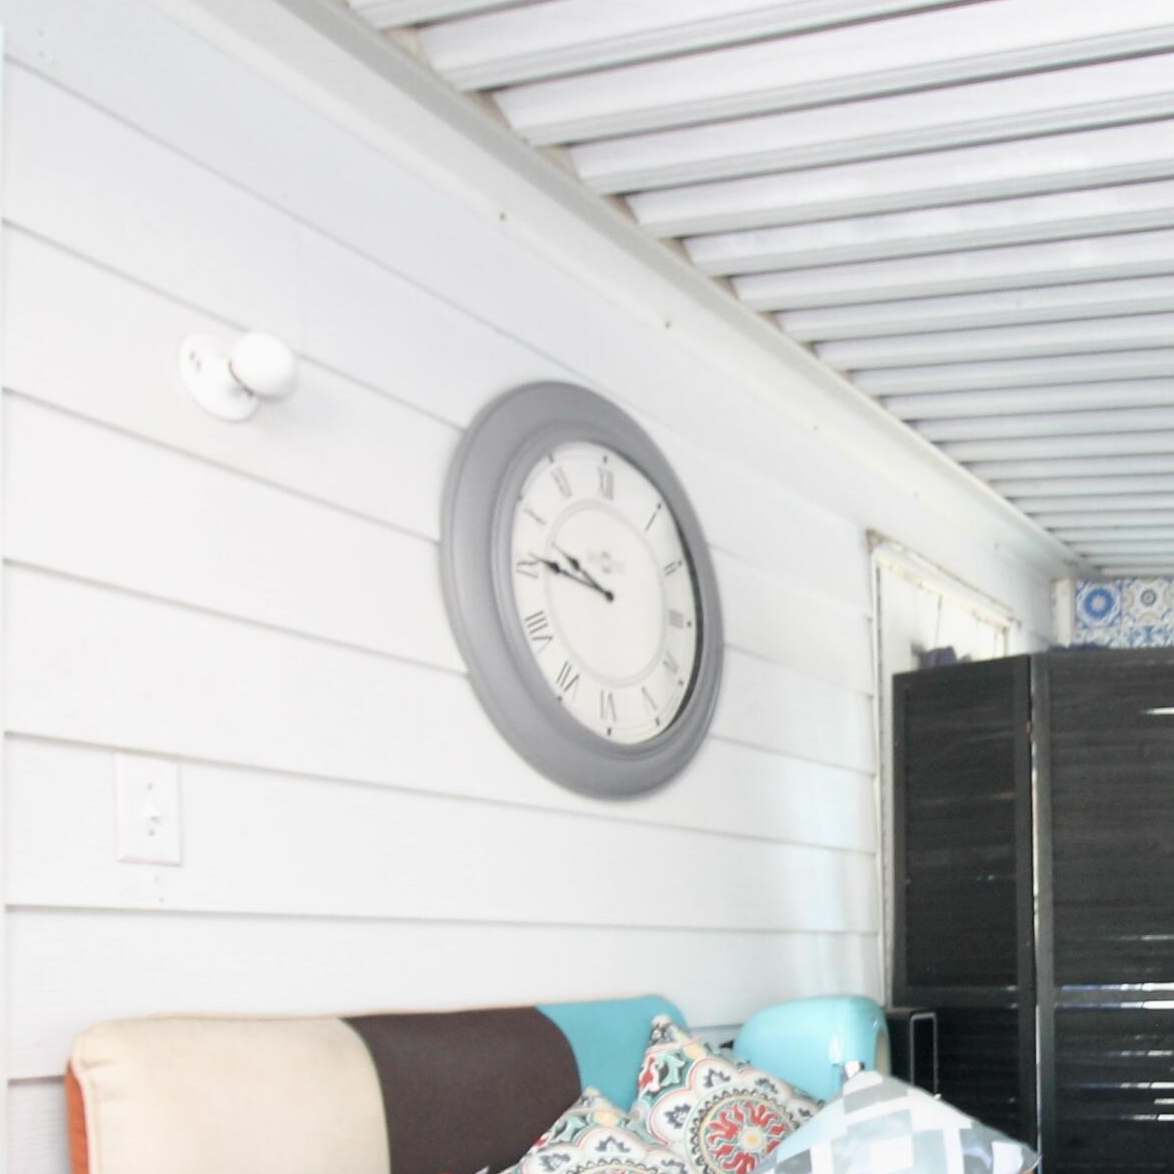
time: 9:45
